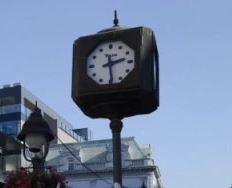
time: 2:29
